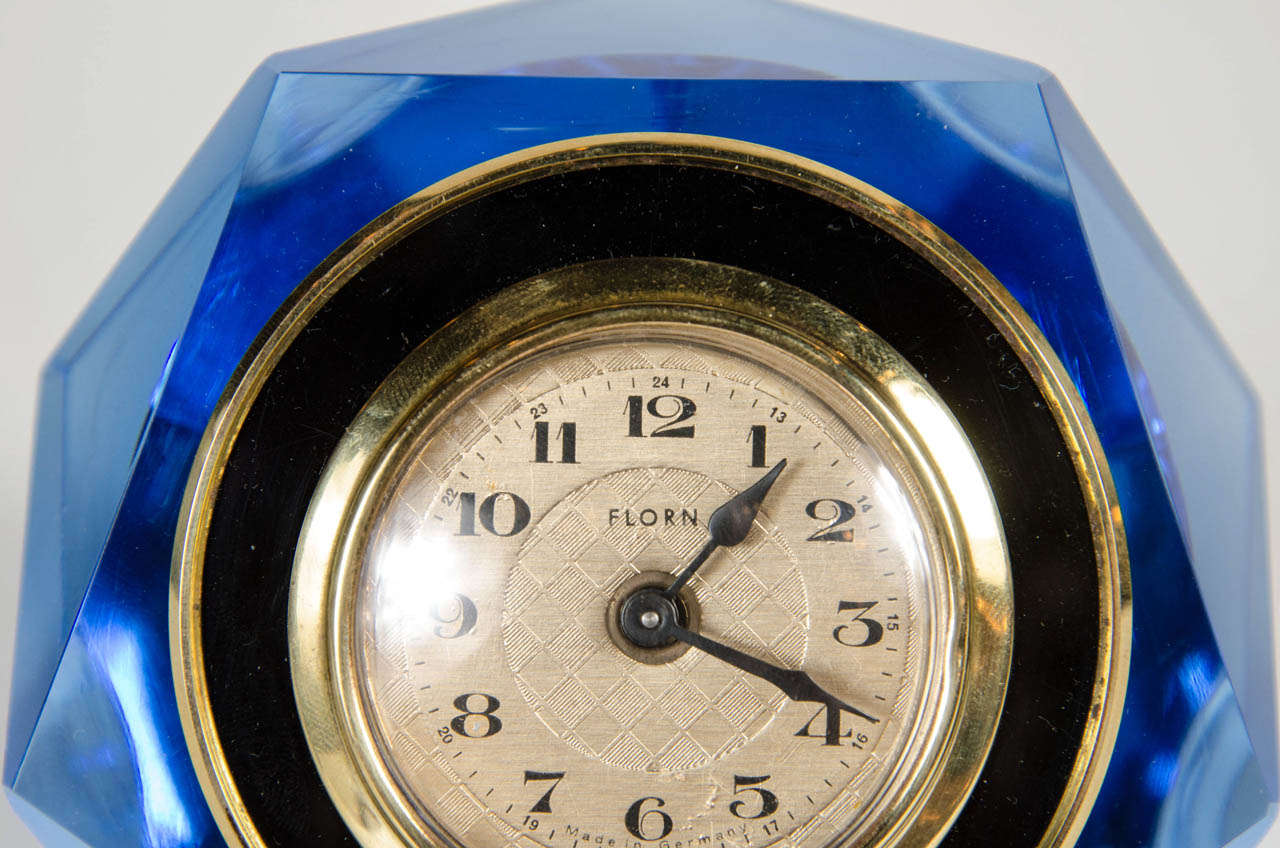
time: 1:18
